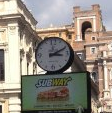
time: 3:10
